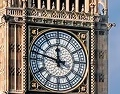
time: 11:47
